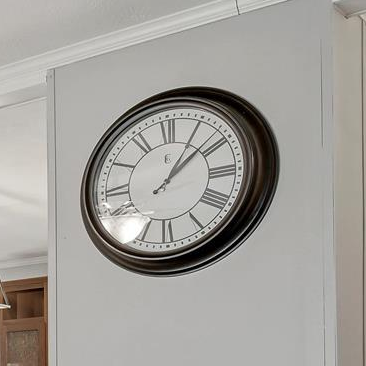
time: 1:08
